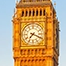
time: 7:18
